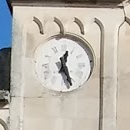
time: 12:26
